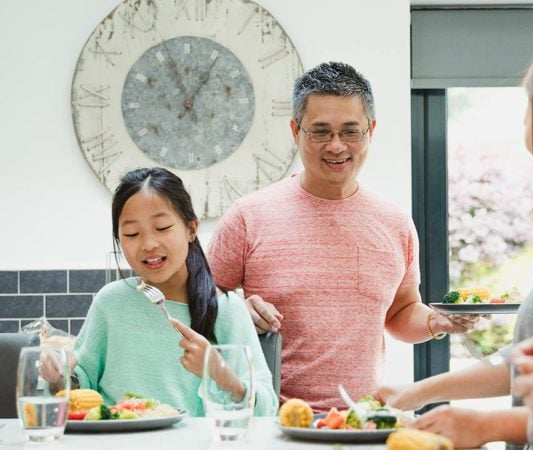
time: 12:56
